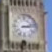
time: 3:13
